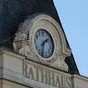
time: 1:32
